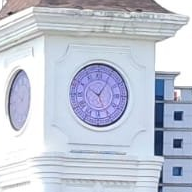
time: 10:05
